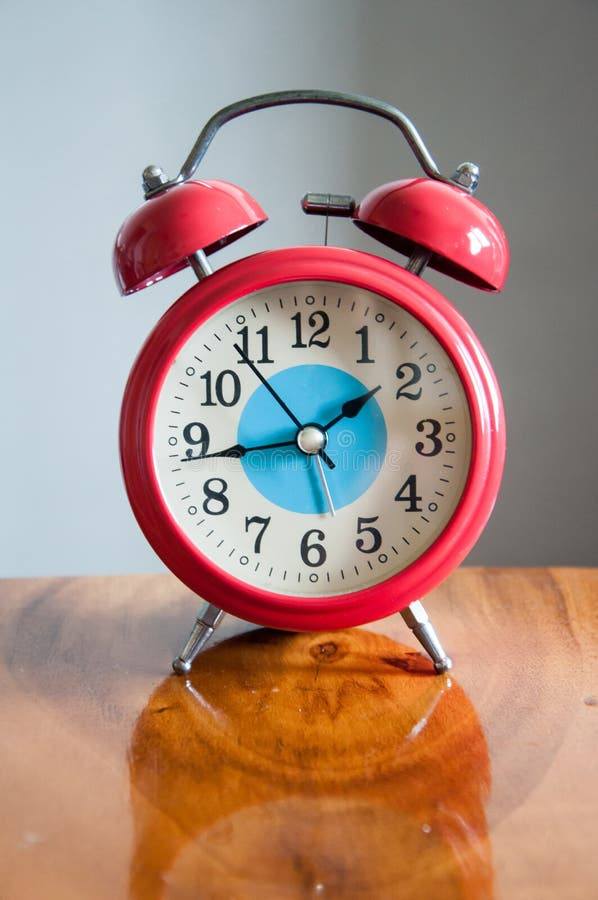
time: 1:43
